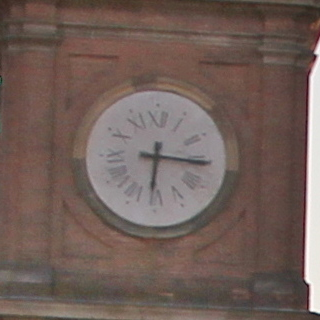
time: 6:15
